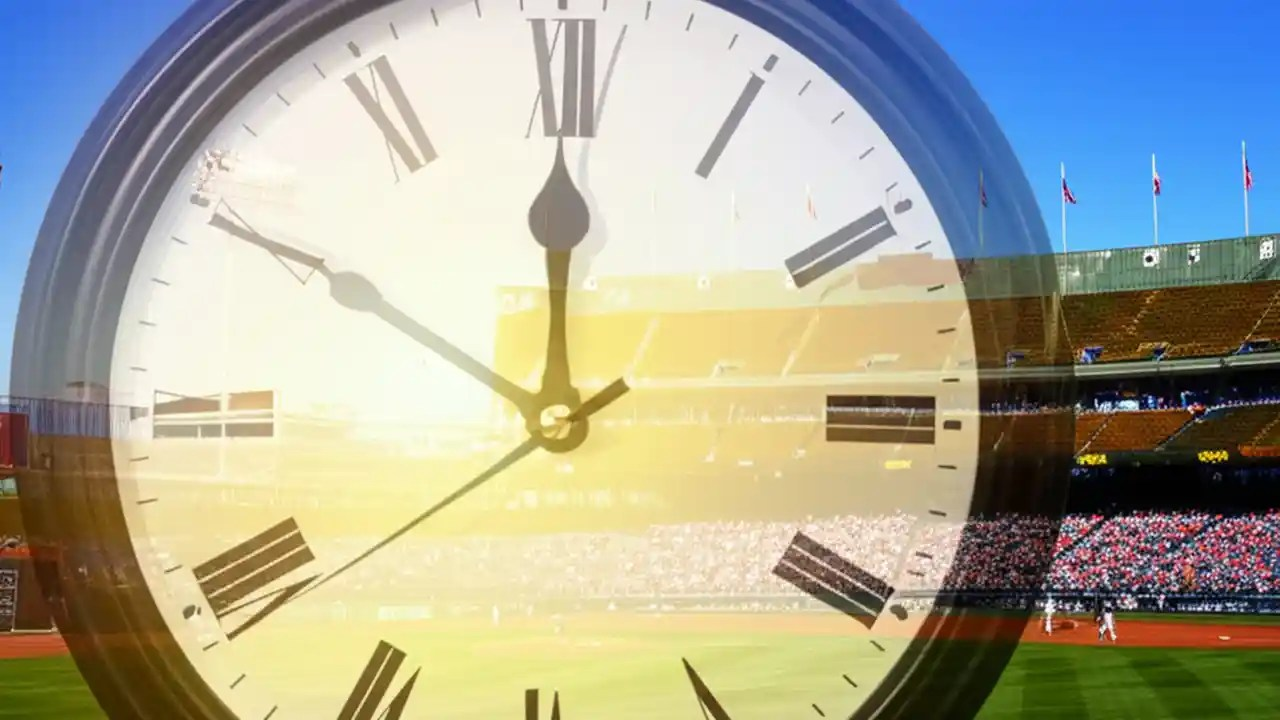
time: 11:50
